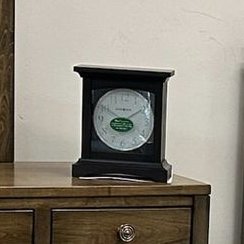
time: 8:49
